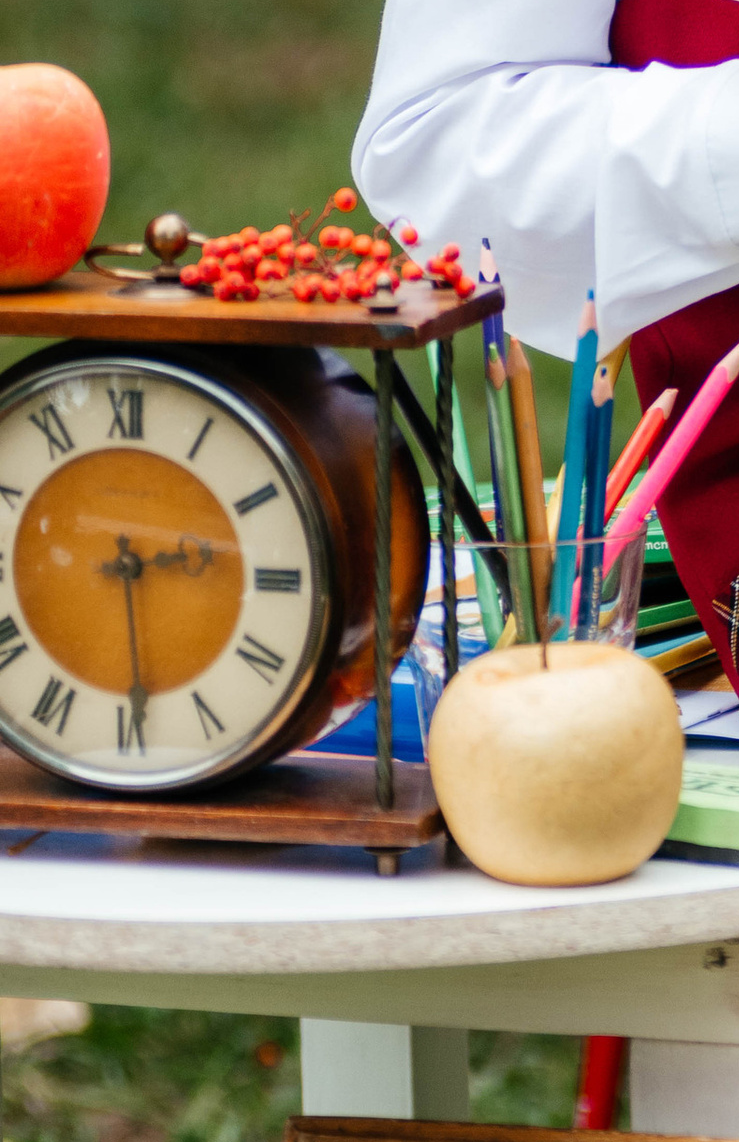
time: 2:29
